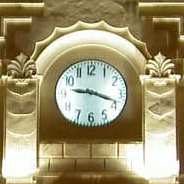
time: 9:18
